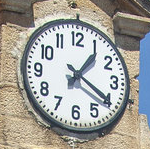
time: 1:20
